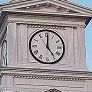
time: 5:00
